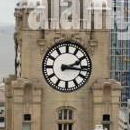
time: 2:16
